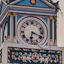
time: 6:18
